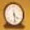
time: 4:28
